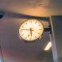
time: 5:46
